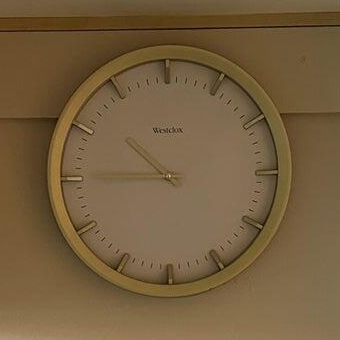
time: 10:45
